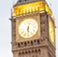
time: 6:03
